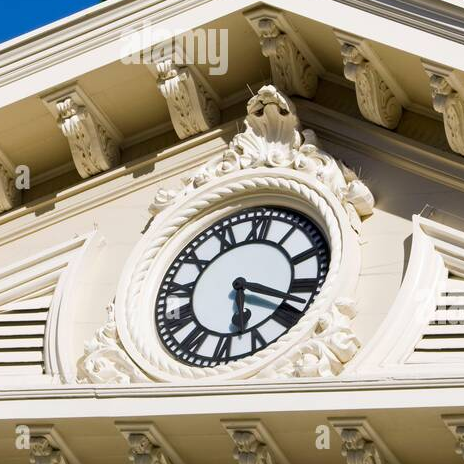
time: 5:18
